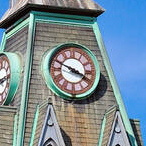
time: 3:48
